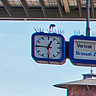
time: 12:45
